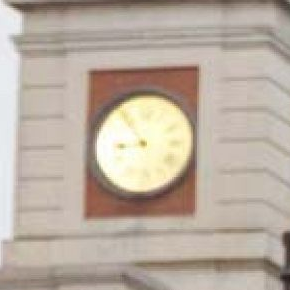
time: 8:53
